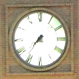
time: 7:36
